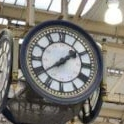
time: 1:39
